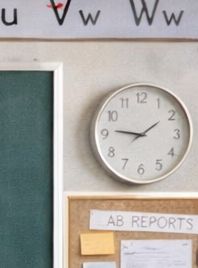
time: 1:46
